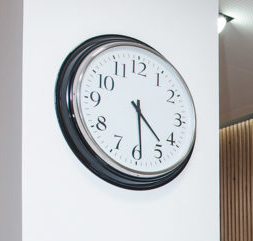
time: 4:29
